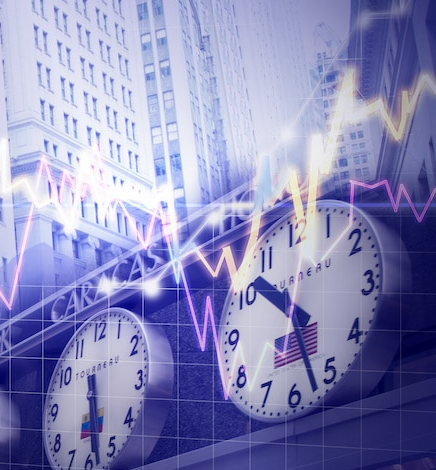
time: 10:27
